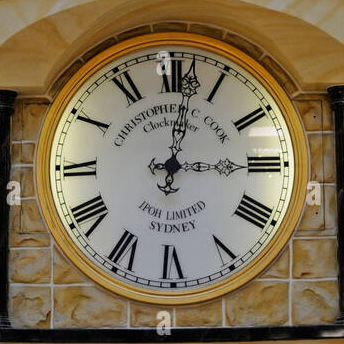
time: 3:01
